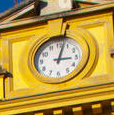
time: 3:02
